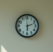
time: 2:29
